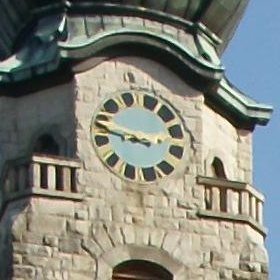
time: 8:47
